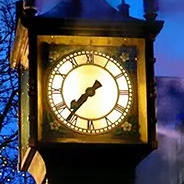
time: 7:36
